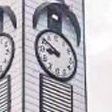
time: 8:50
